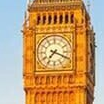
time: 7:18
